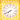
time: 7:40
